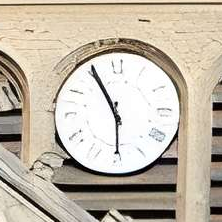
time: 5:55
